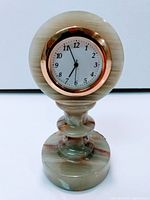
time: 6:56
